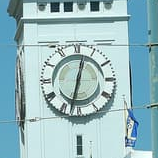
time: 12:32
